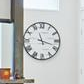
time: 11:17
